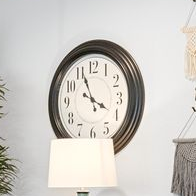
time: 3:56
